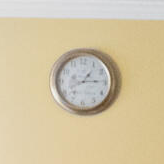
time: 1:14
